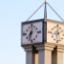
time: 7:32
